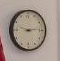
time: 9:14
